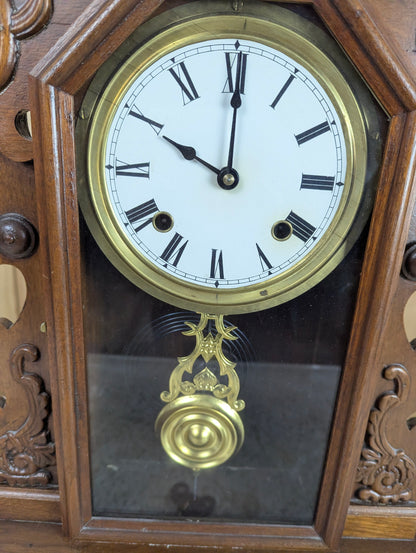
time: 10:00
